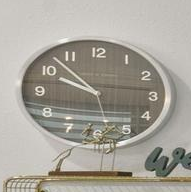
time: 9:52
